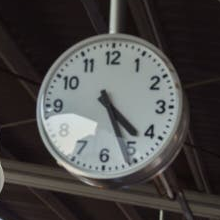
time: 4:26
